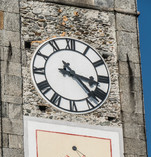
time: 3:22
